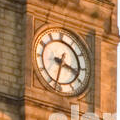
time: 3:32
